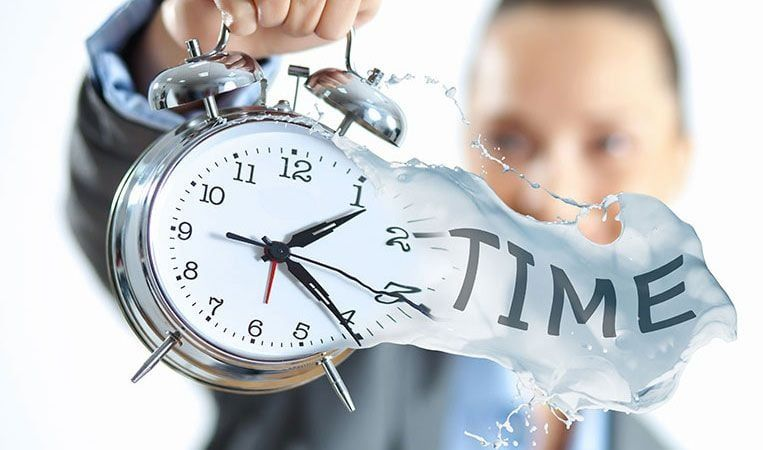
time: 1:20
